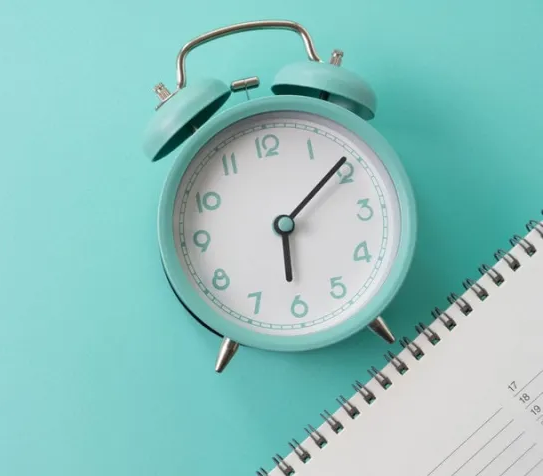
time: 6:09
